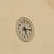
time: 5:14
